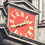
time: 1:40
